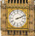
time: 2:11
